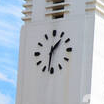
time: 1:31
